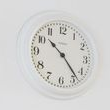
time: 10:23
